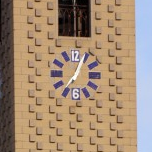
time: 7:04
